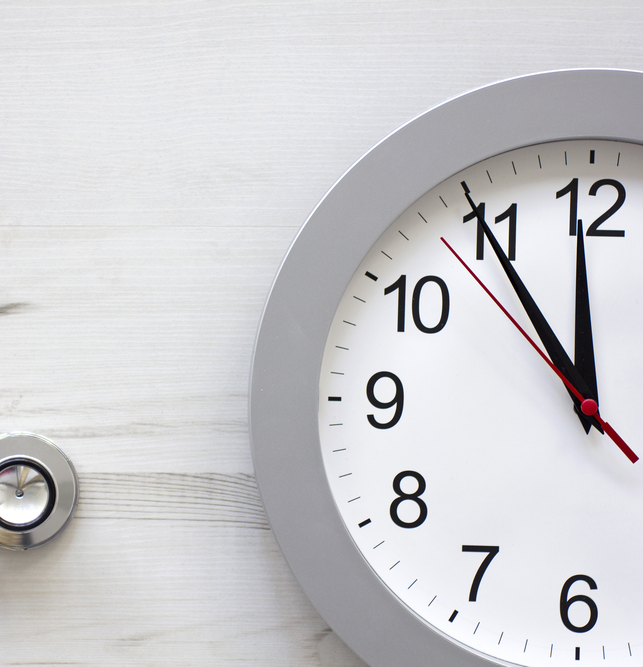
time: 11:54
